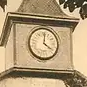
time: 4:01
